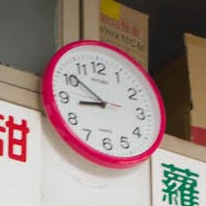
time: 8:51
